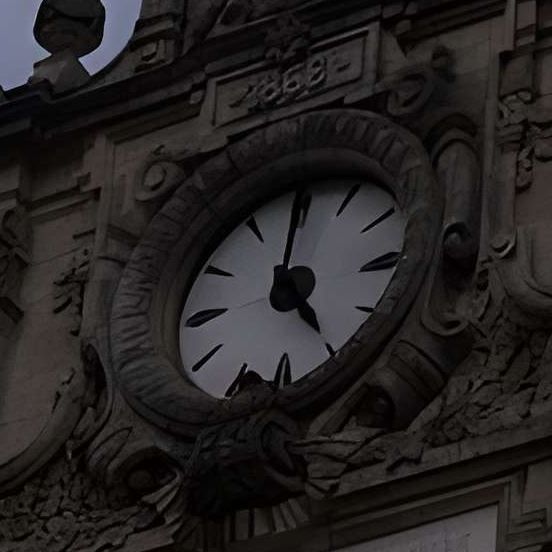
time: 5:00
